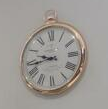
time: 9:43
